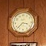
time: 3:37
